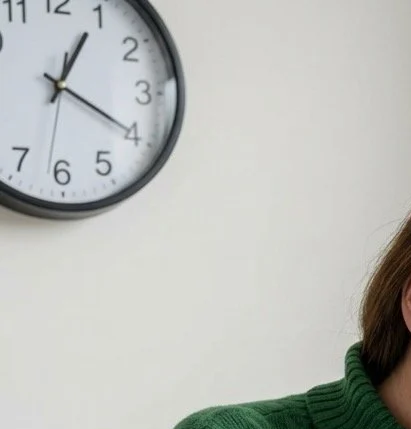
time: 4:04
